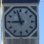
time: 8:57
